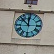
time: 11:52
